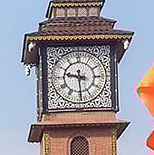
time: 9:30
